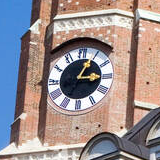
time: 3:04
